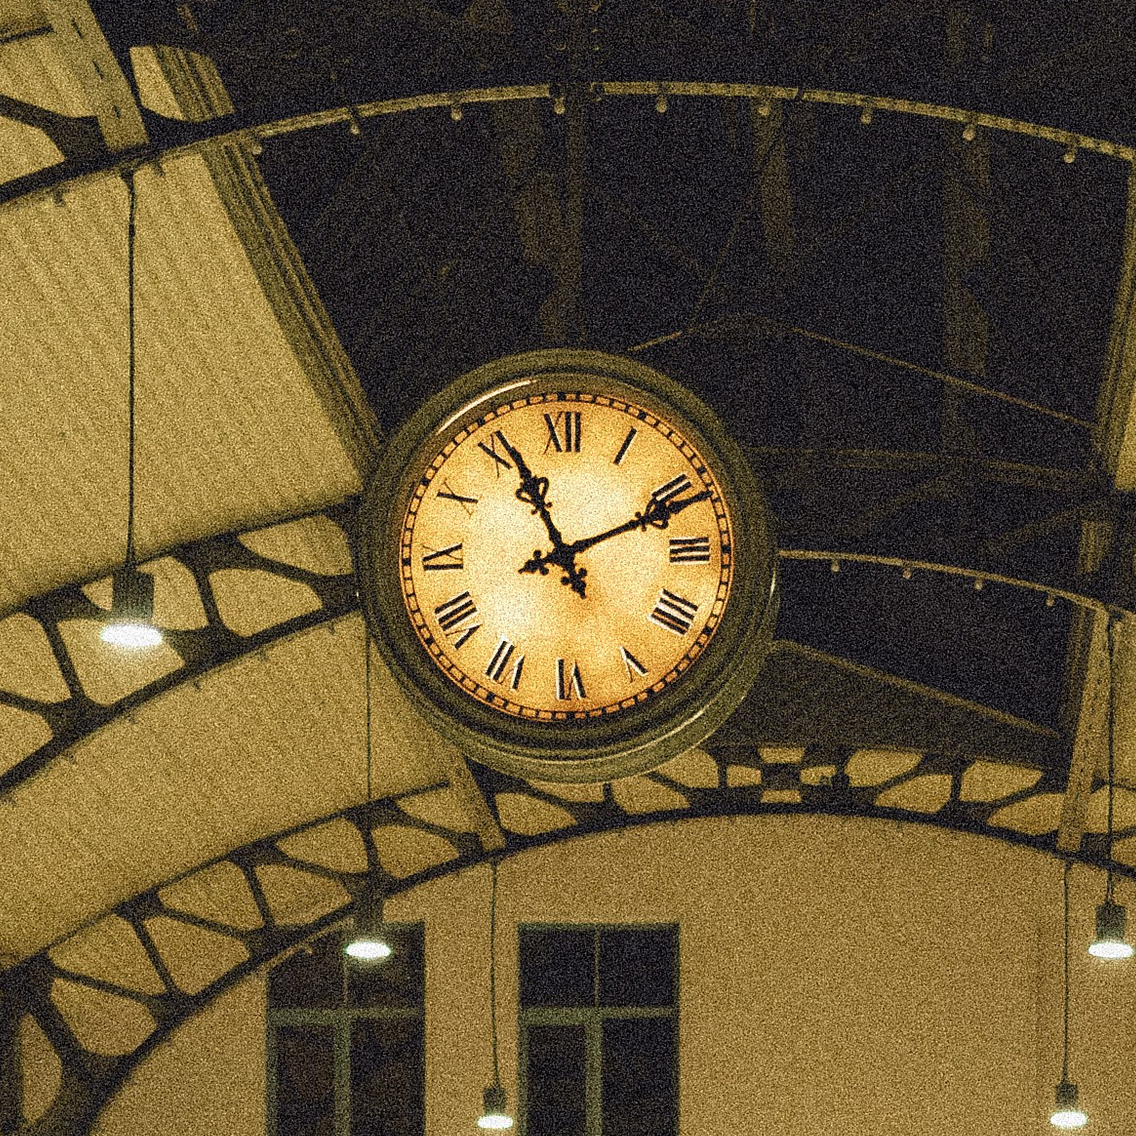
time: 11:11
